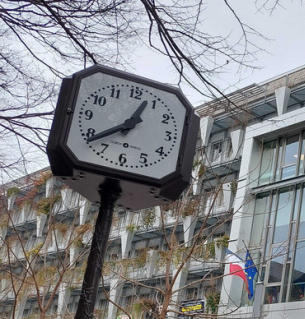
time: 12:38
